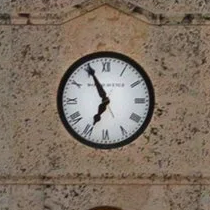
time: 6:55
